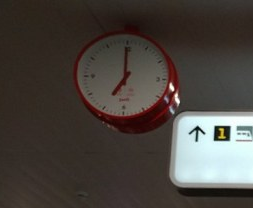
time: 7:00
